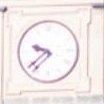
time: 9:38
